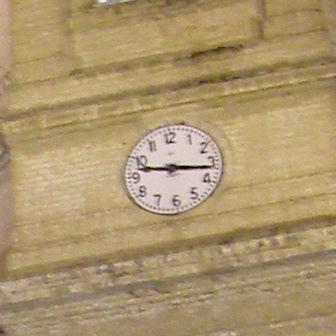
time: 9:16
